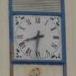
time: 8:31
